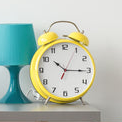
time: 10:15
